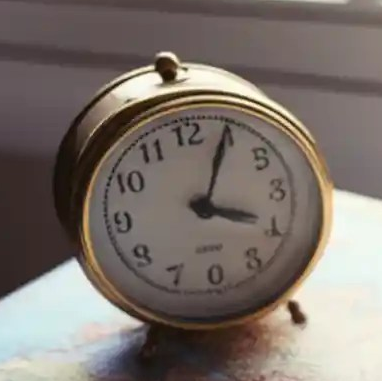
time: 4:04
